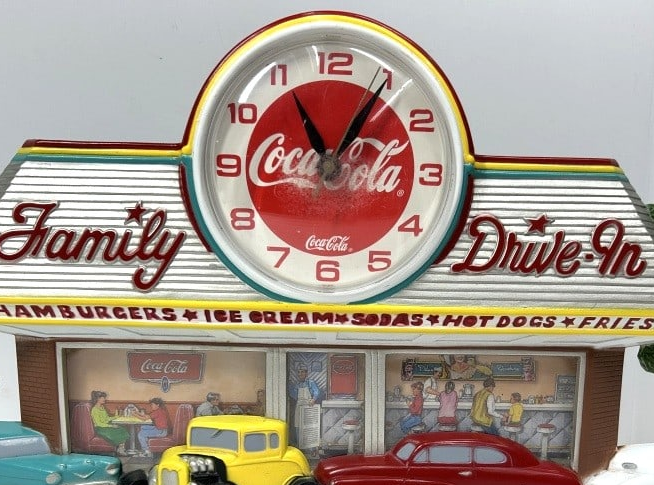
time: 11:05
